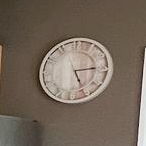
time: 5:14
